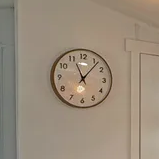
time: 11:06
